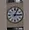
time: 3:04
